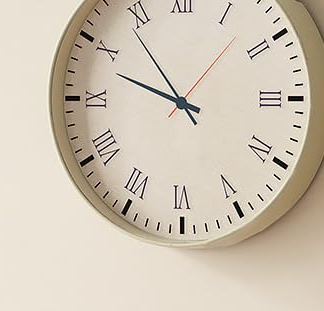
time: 10:48
